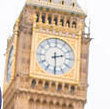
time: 2:29
